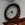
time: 4:42
